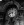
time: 8:27
